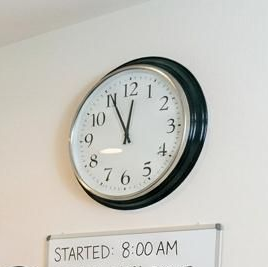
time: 11:55
